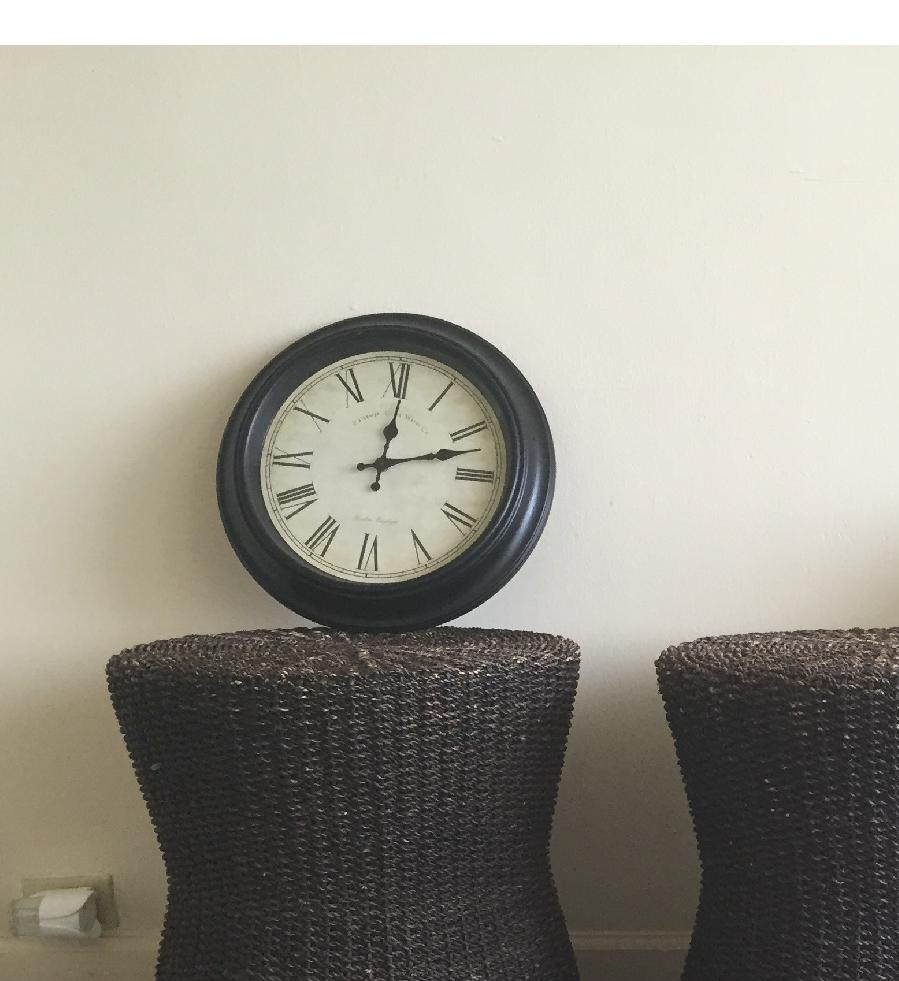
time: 12:12
